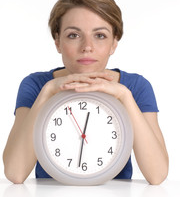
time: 12:31
